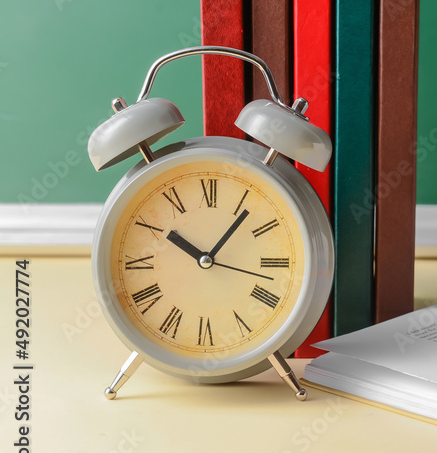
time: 10:07
